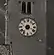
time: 7:18
